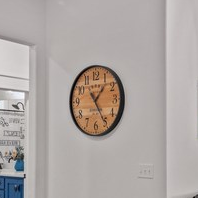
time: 1:24
